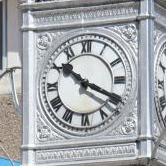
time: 10:19
